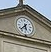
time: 5:37
